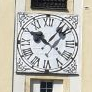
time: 10:07
